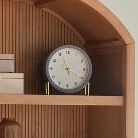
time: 11:19
